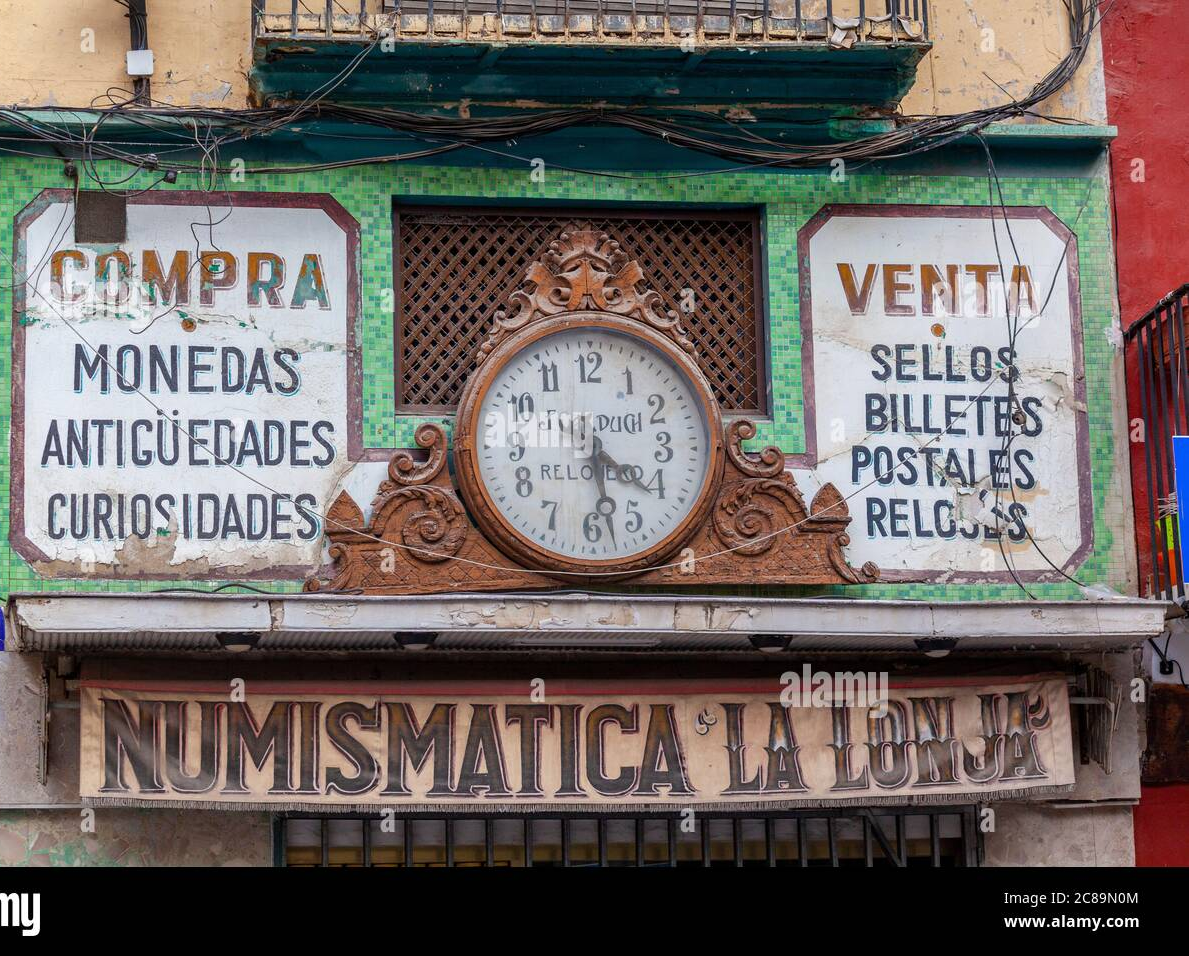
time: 4:29
